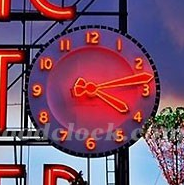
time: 4:13
